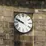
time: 9:48
